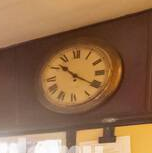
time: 10:20
